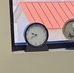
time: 9:39
